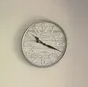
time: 10:18
